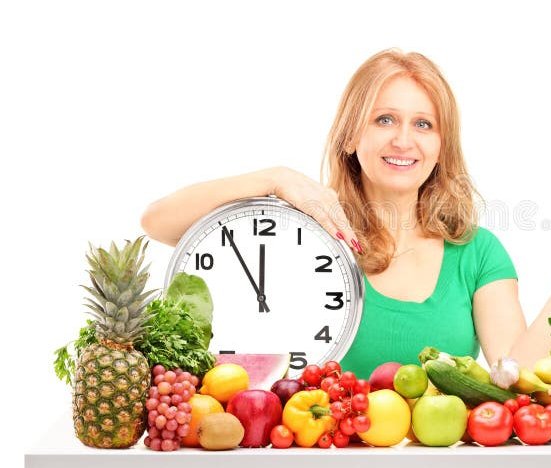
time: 11:55
